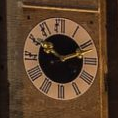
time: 10:12
